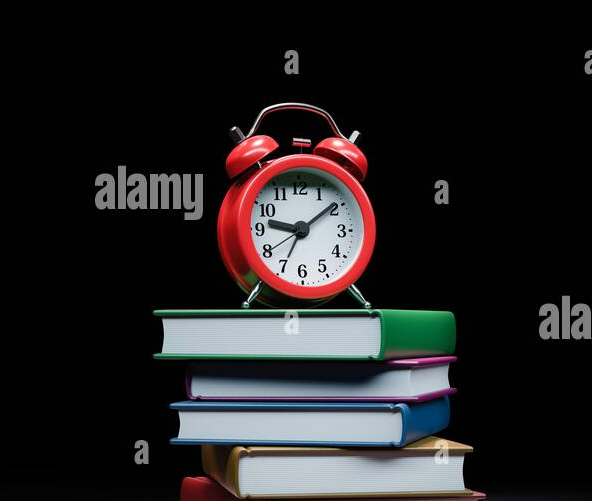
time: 9:09
